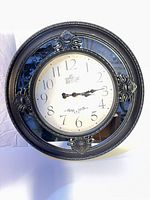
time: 3:14
